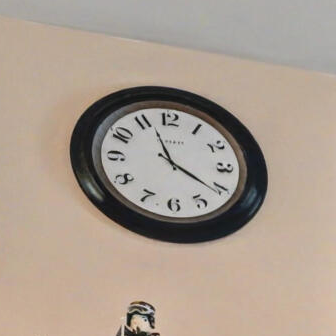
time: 11:20
